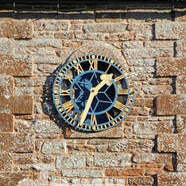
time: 1:33
